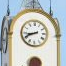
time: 8:41
